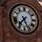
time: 7:25
